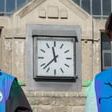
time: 11:37
